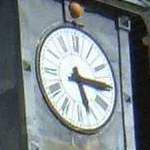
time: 5:14
